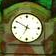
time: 6:50
